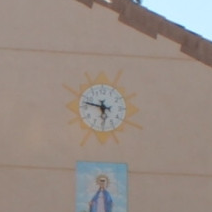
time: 5:47
